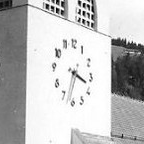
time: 3:32
